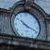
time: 10:18
